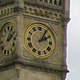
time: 2:05
